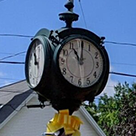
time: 11:01
